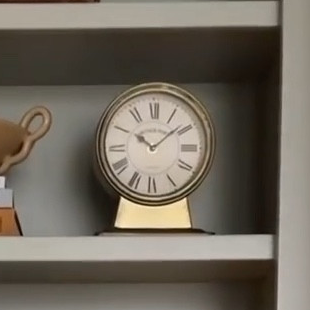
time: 10:08
